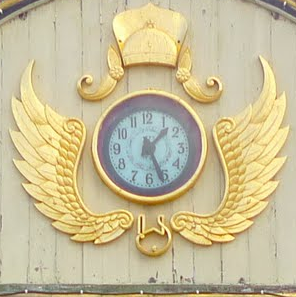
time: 1:26
